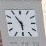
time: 5:54
